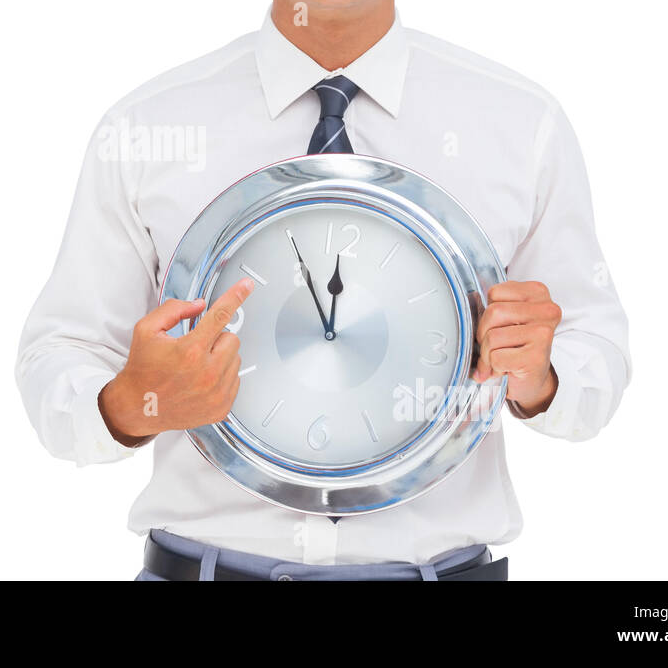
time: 11:55
